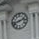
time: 2:42
